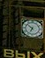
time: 6:52
